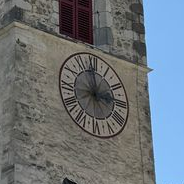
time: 2:58
